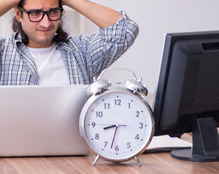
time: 8:32
